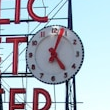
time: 5:03
